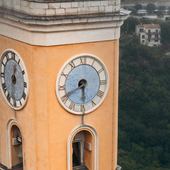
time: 5:40
